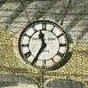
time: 11:35
